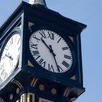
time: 10:26
